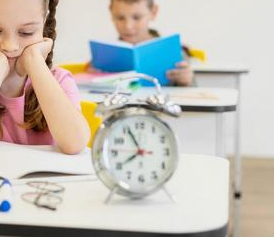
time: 7:55
